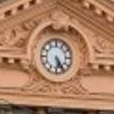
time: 5:24
